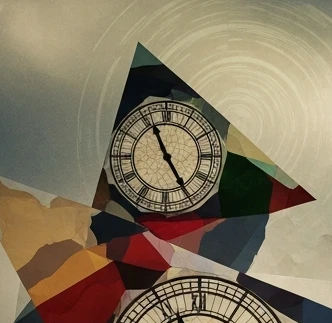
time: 4:55
